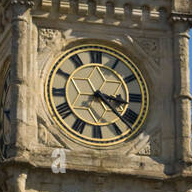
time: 3:22
